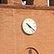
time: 10:21
